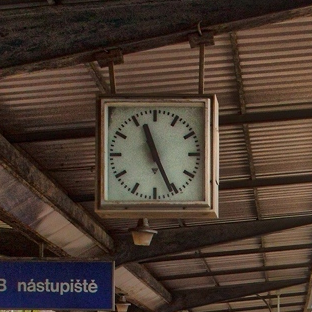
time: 11:25
